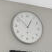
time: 12:52
